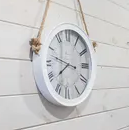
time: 7:47
